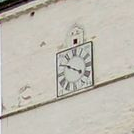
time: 3:50
